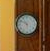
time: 5:49
